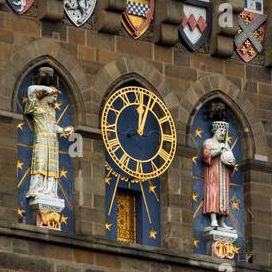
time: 12:03
